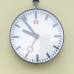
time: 9:53
